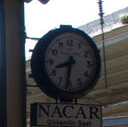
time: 8:31
